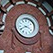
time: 3:40
